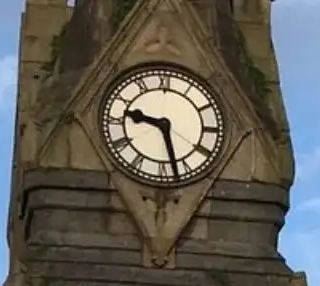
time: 9:27
